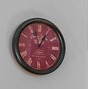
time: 12:57
